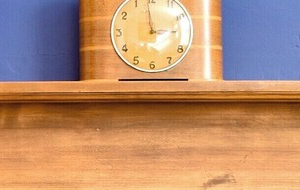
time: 2:58
